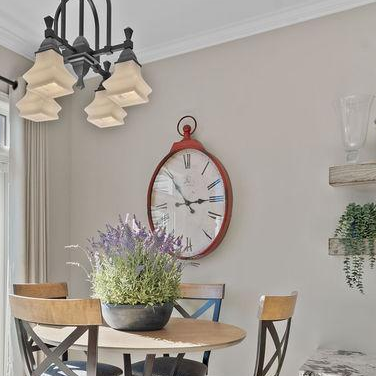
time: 2:53
